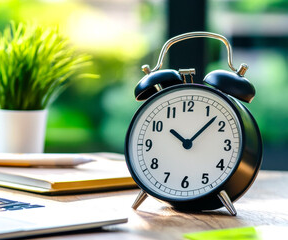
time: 10:07
